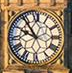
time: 9:54
